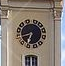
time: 6:41
